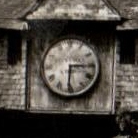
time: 6:15
